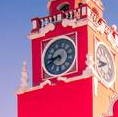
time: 8:40
